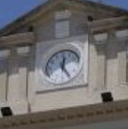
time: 12:24
